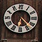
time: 6:23
